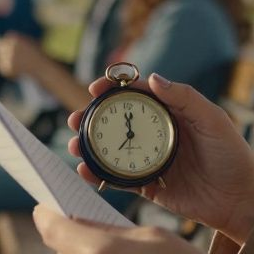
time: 12:00
